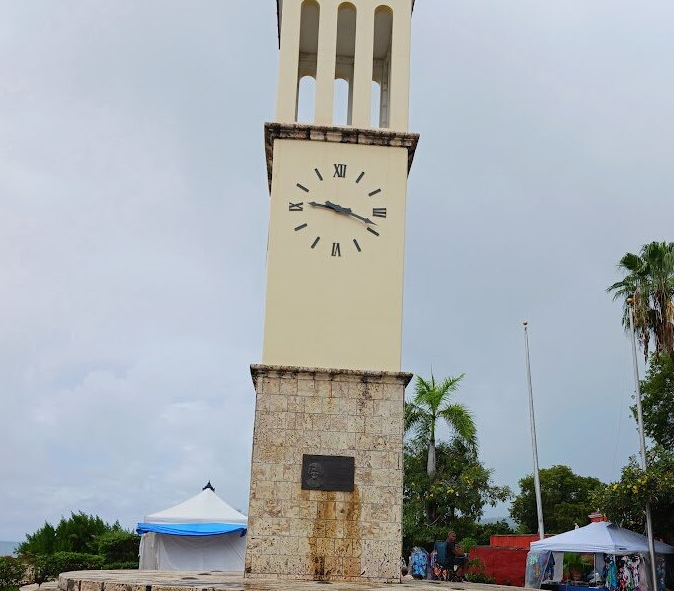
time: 9:18
